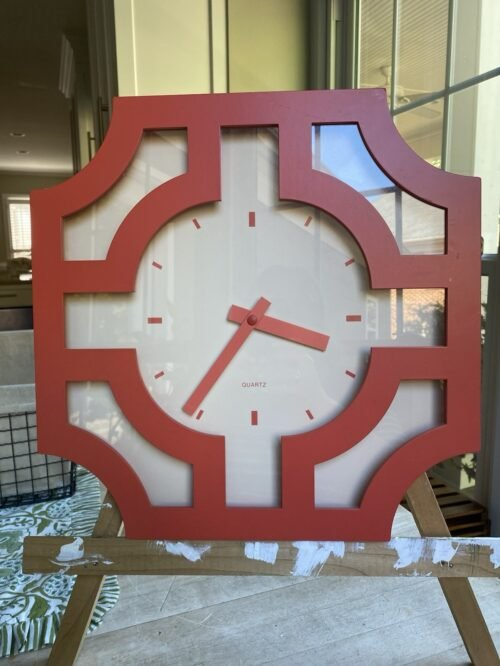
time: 3:36
